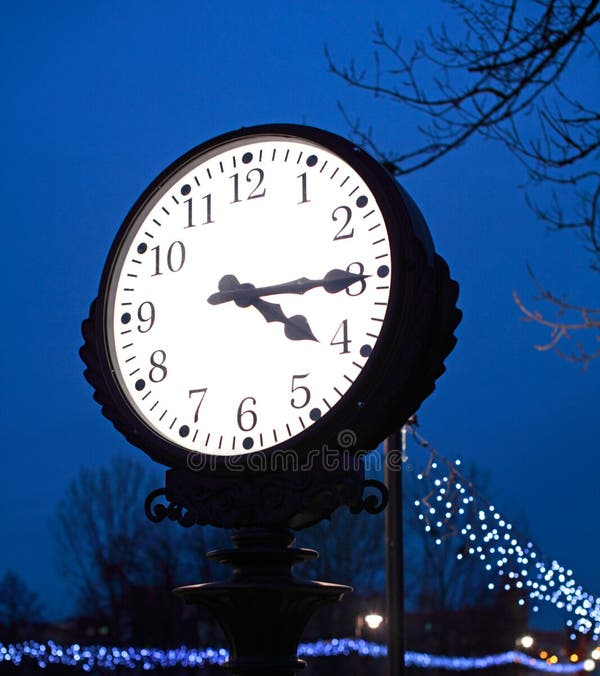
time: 4:14
